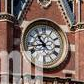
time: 10:42
